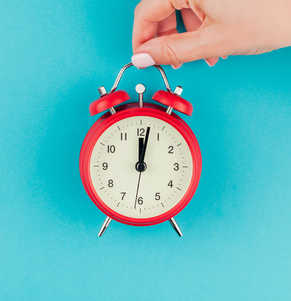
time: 12:01
